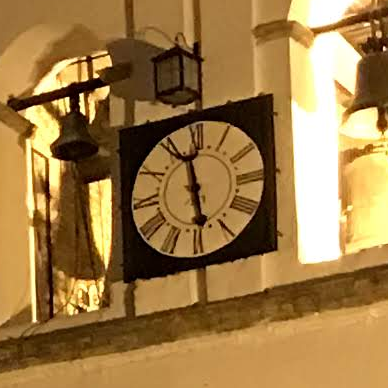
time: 5:57
